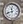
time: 11:41
